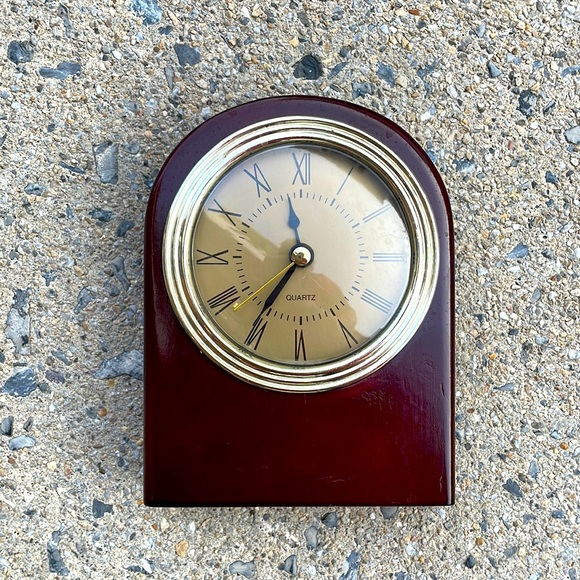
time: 11:35
